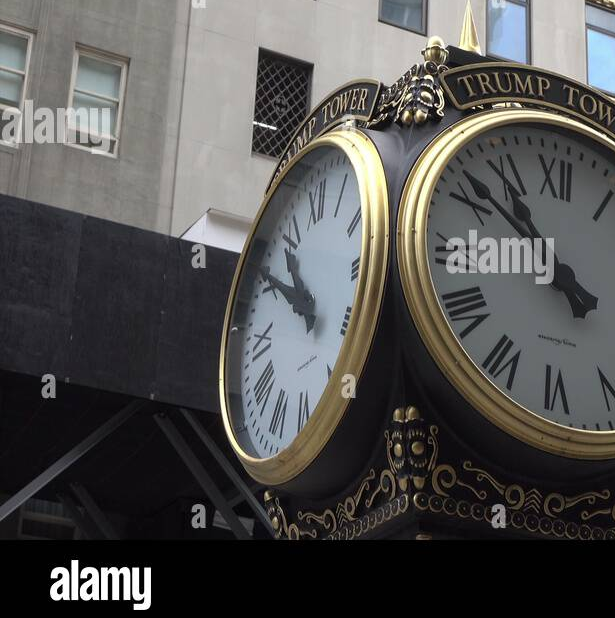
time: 10:50
